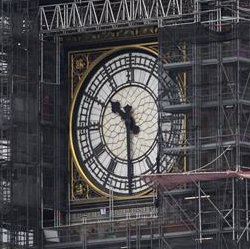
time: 10:30
